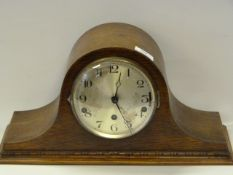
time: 12:26
